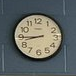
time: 8:44
